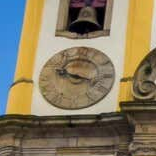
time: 9:17
